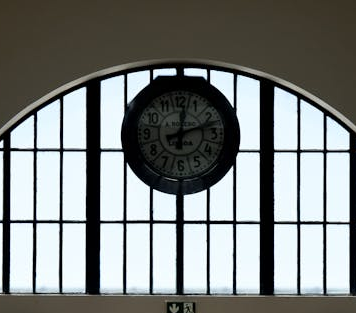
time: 12:12
